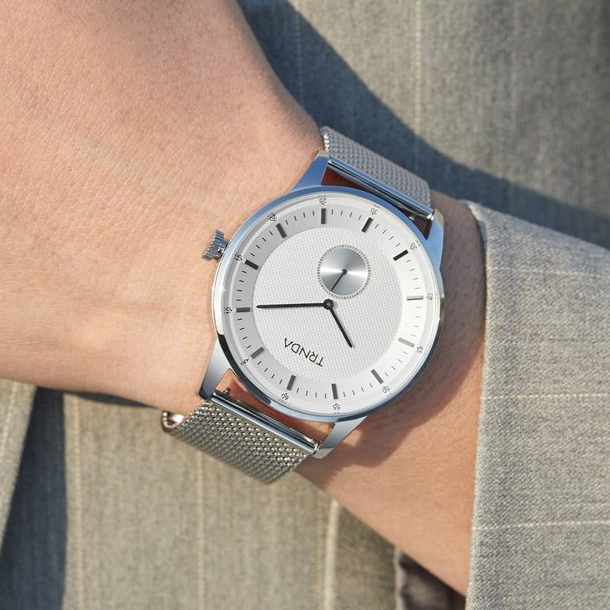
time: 12:45
